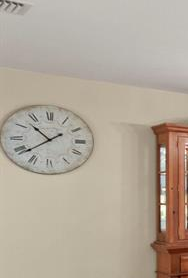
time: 10:38
